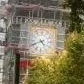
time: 4:41
